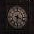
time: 6:18
